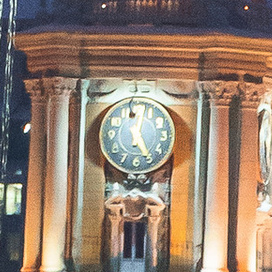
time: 5:03
